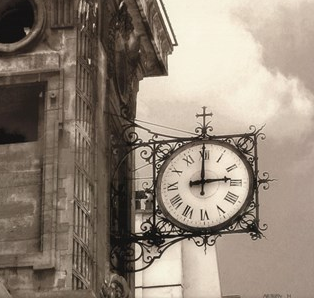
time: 2:59
